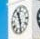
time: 11:28
